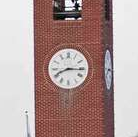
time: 8:15
